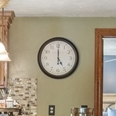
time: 5:00
